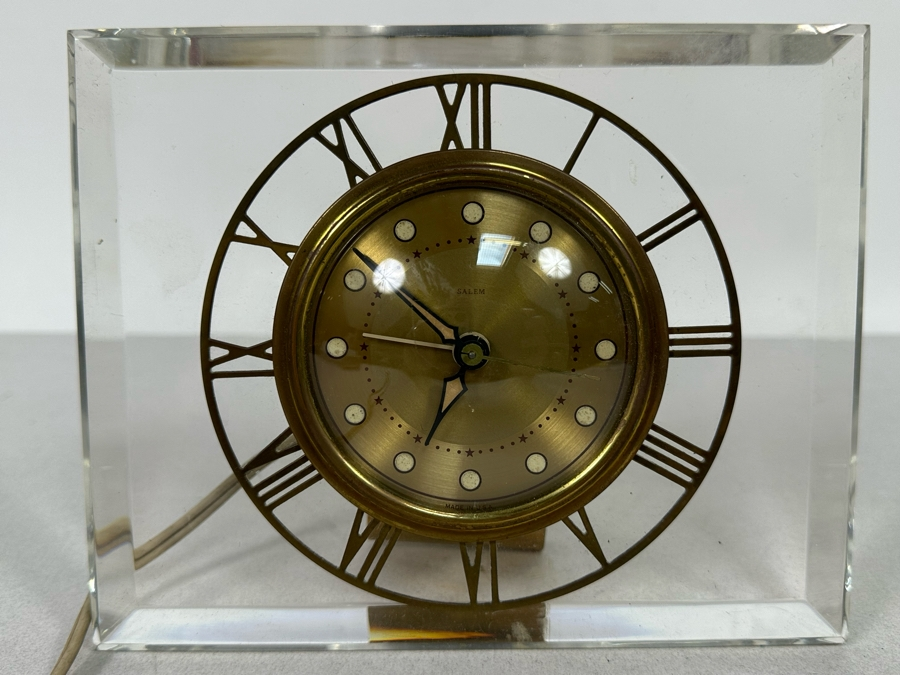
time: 6:52
